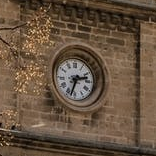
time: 2:33
